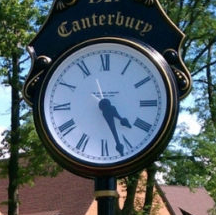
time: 4:26
